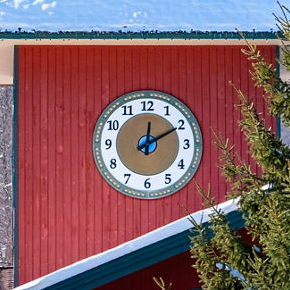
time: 12:10
